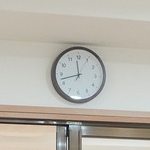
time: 11:42
